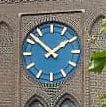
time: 1:51
